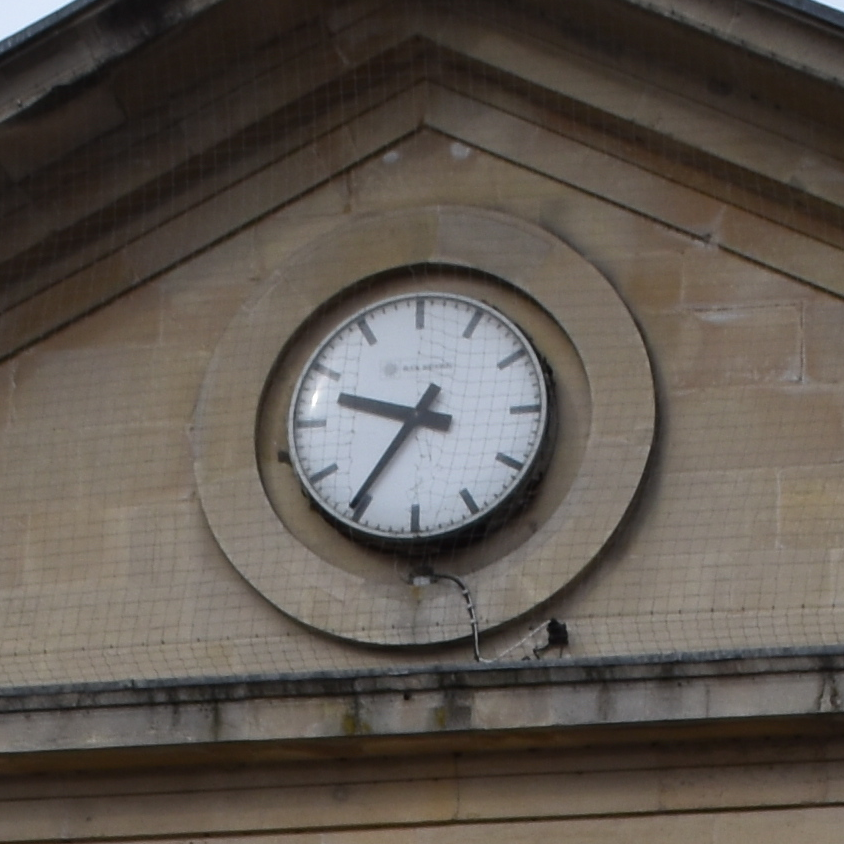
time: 9:35
